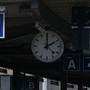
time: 2:00
